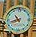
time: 10:42
